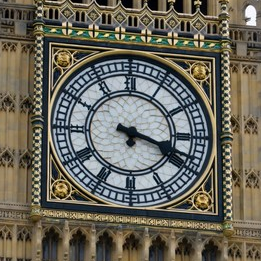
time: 3:18
